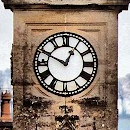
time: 12:49
